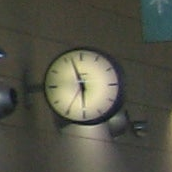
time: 5:56
